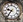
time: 9:36
